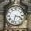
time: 3:32
